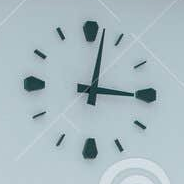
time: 3:02
